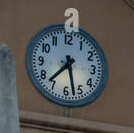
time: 7:27
